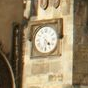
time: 4:31
